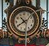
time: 10:40
